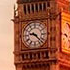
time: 9:22
